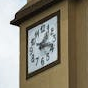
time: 1:18
